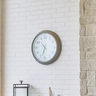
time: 10:33
